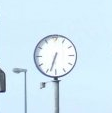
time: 6:33
